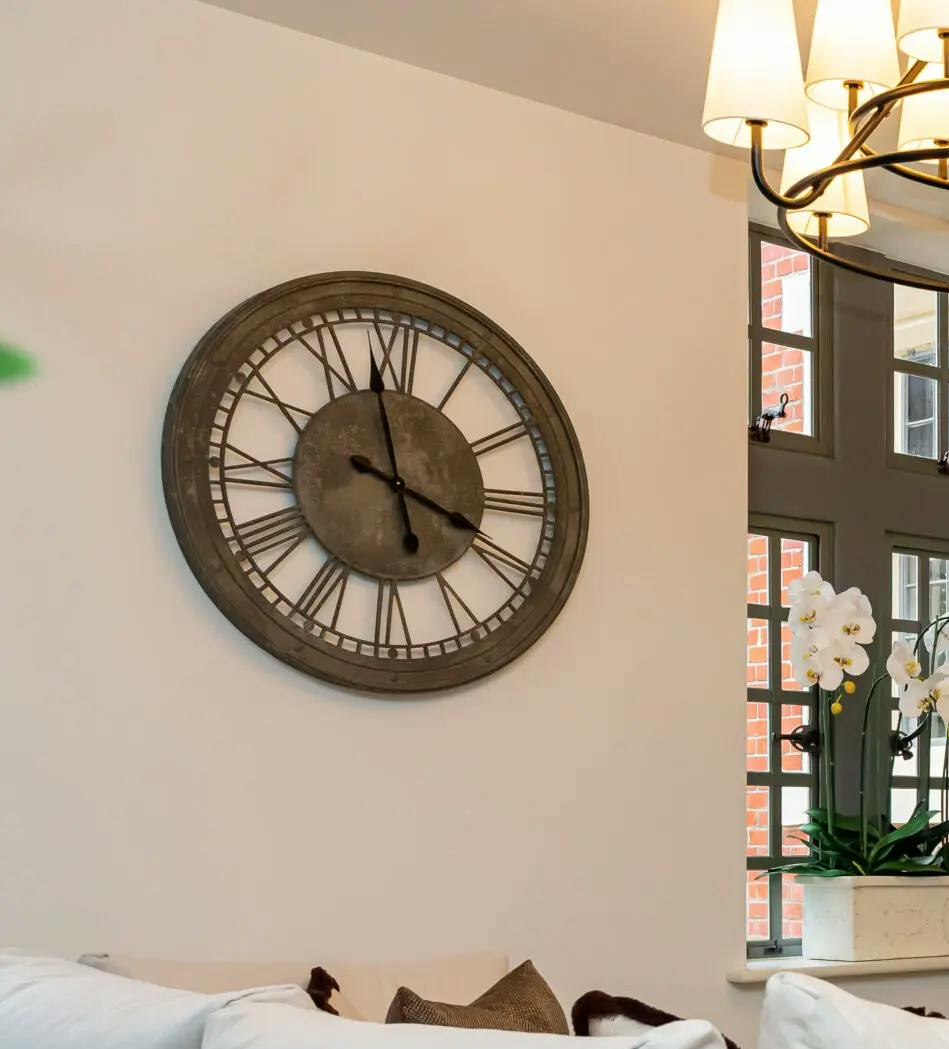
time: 3:58
